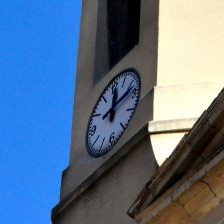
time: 12:12
